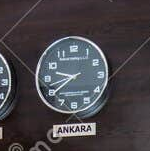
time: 9:39
